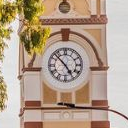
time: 4:52
